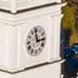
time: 2:58
